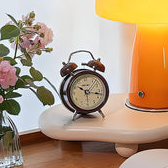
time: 10:17
